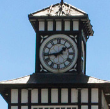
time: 1:43
